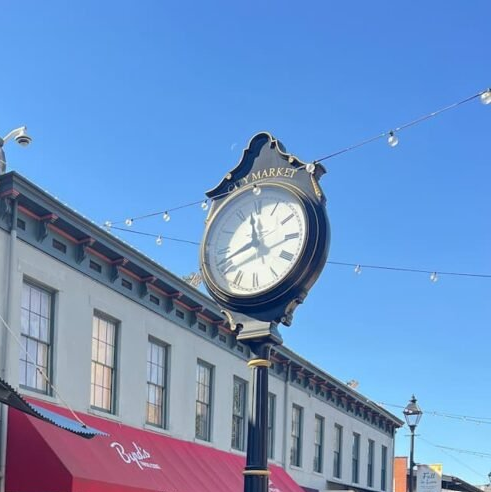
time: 11:41
